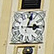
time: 3:02
